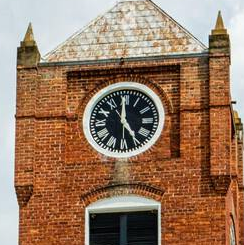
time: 4:59
